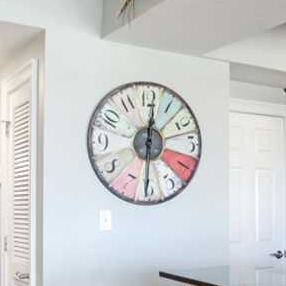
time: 12:30
